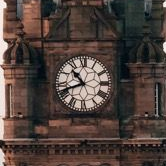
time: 10:41
